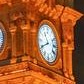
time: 10:40
